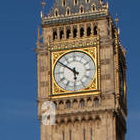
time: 5:50
